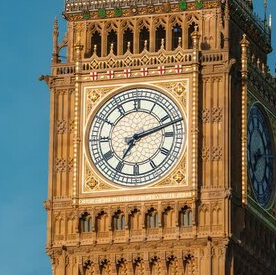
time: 7:11
